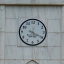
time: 5:19
